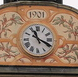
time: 11:19
